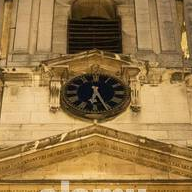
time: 6:25
